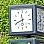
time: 11:40
